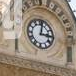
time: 3:01
